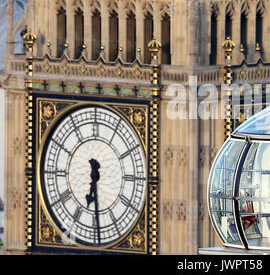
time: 6:29
